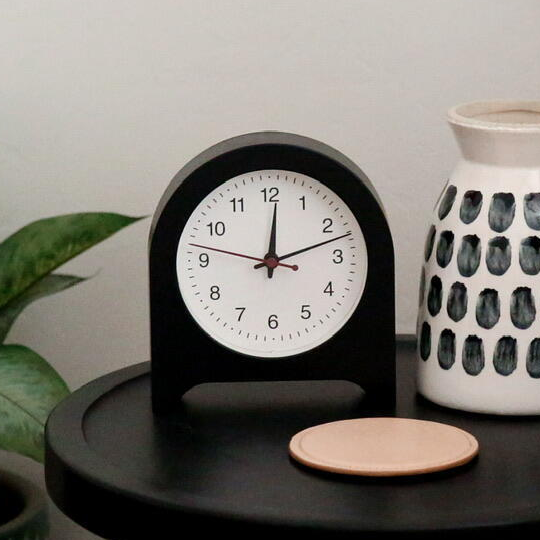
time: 12:11
